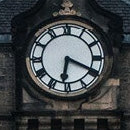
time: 6:19
